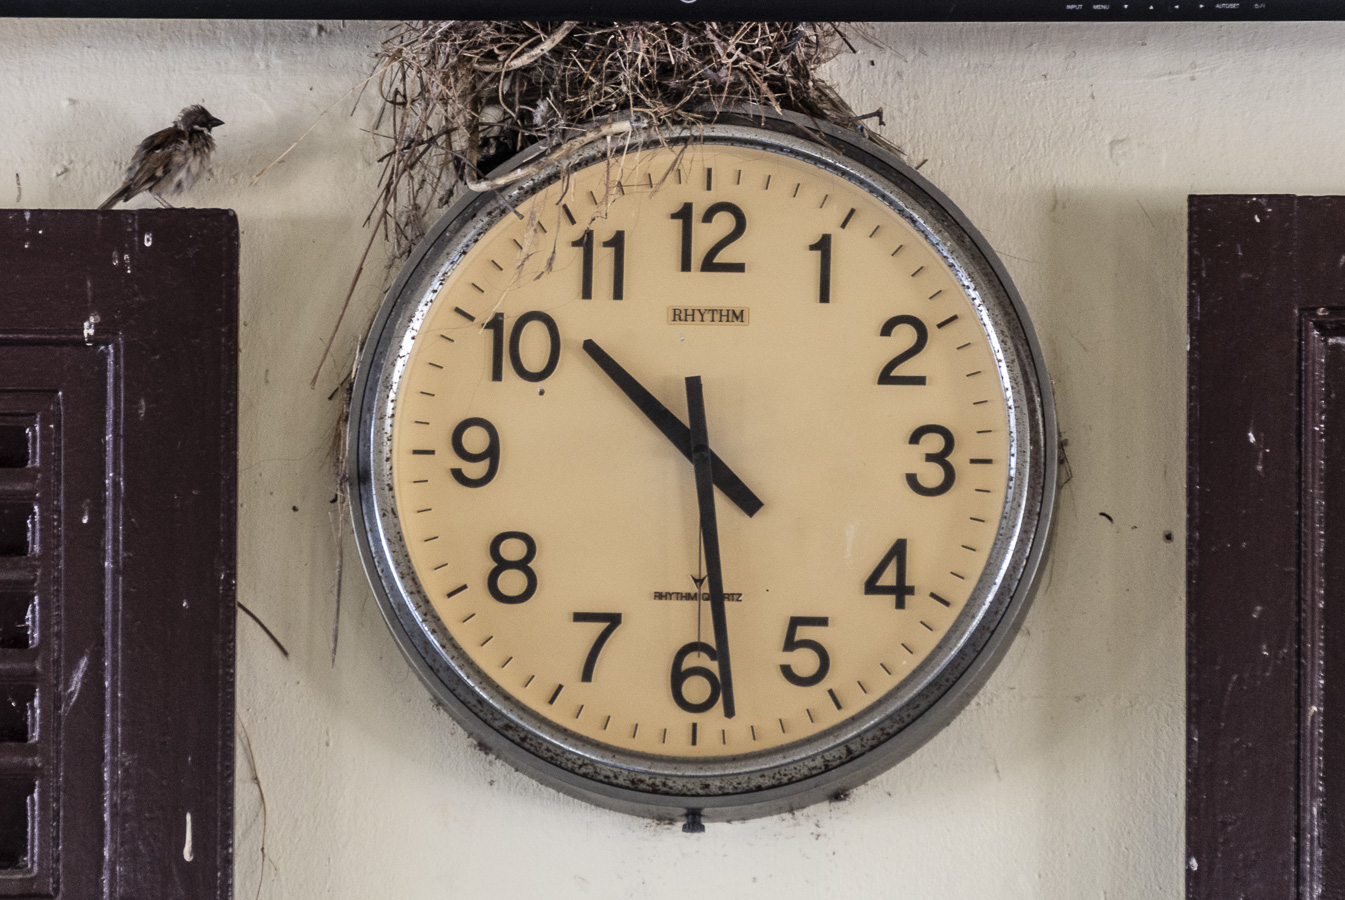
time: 10:28
